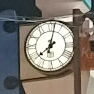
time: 6:38
